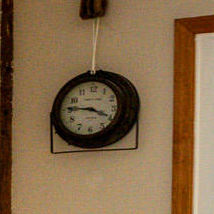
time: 3:45
